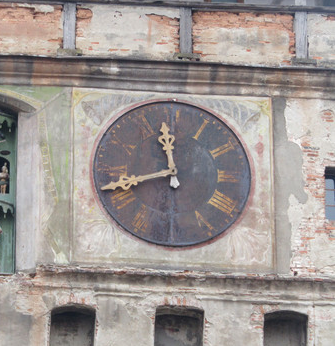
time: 11:42
